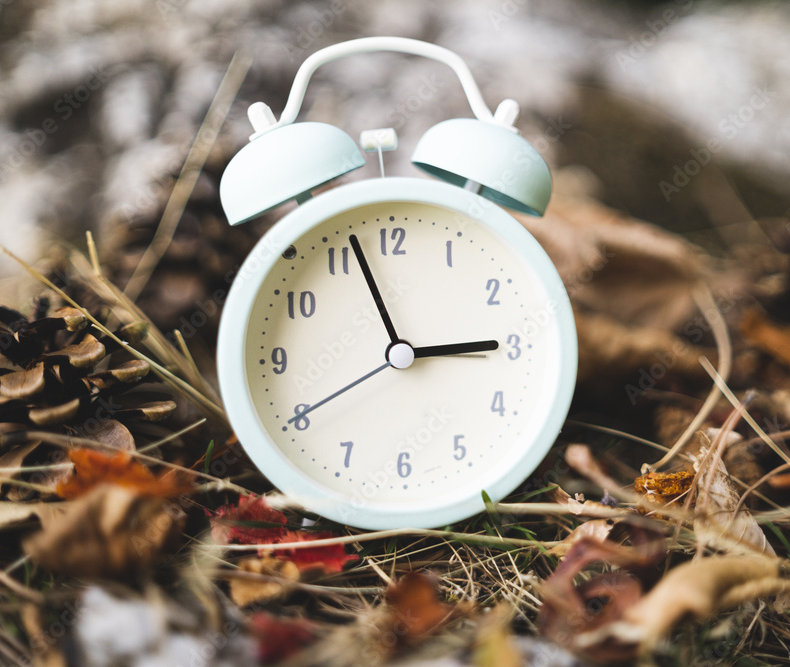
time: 2:56
